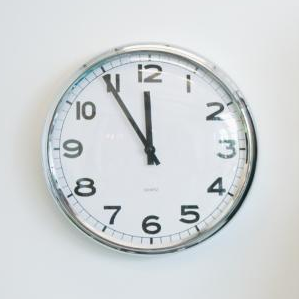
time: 11:54
